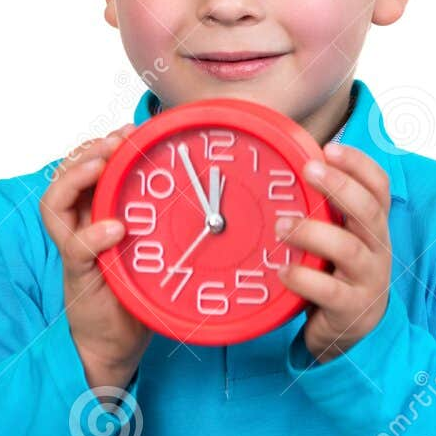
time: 11:55
